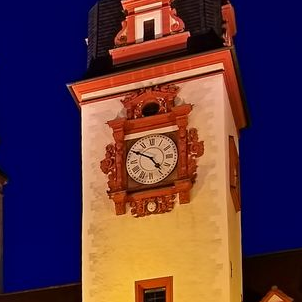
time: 4:50
